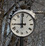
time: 8:59
